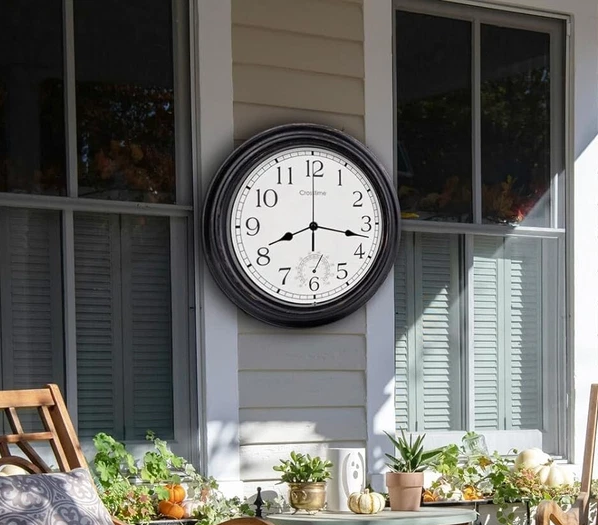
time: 8:16
